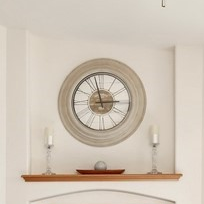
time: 2:57
